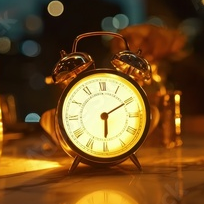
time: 6:10
